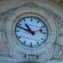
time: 10:48
